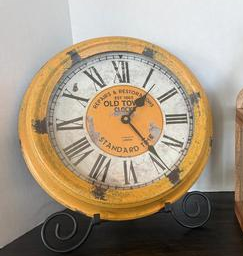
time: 1:23
